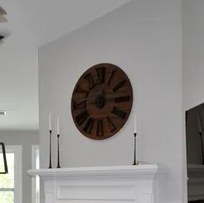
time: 12:14
